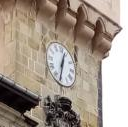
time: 12:32
